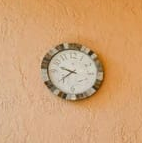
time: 9:39
